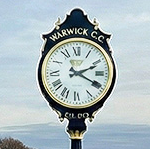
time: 2:19
